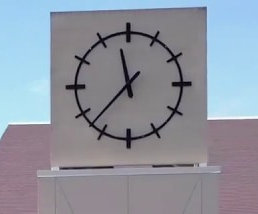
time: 11:37
